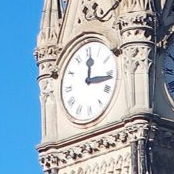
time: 12:16
